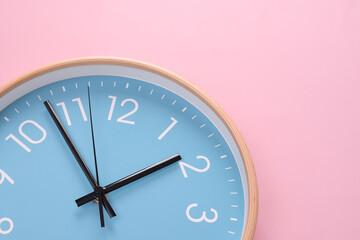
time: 1:53
